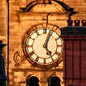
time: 5:03
